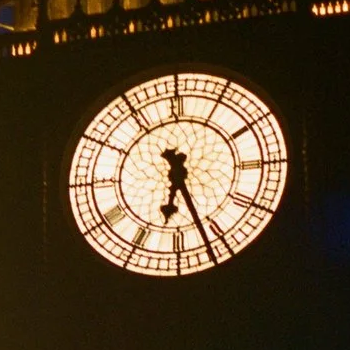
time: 6:26
